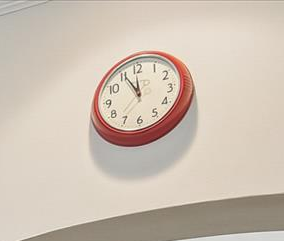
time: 11:55
